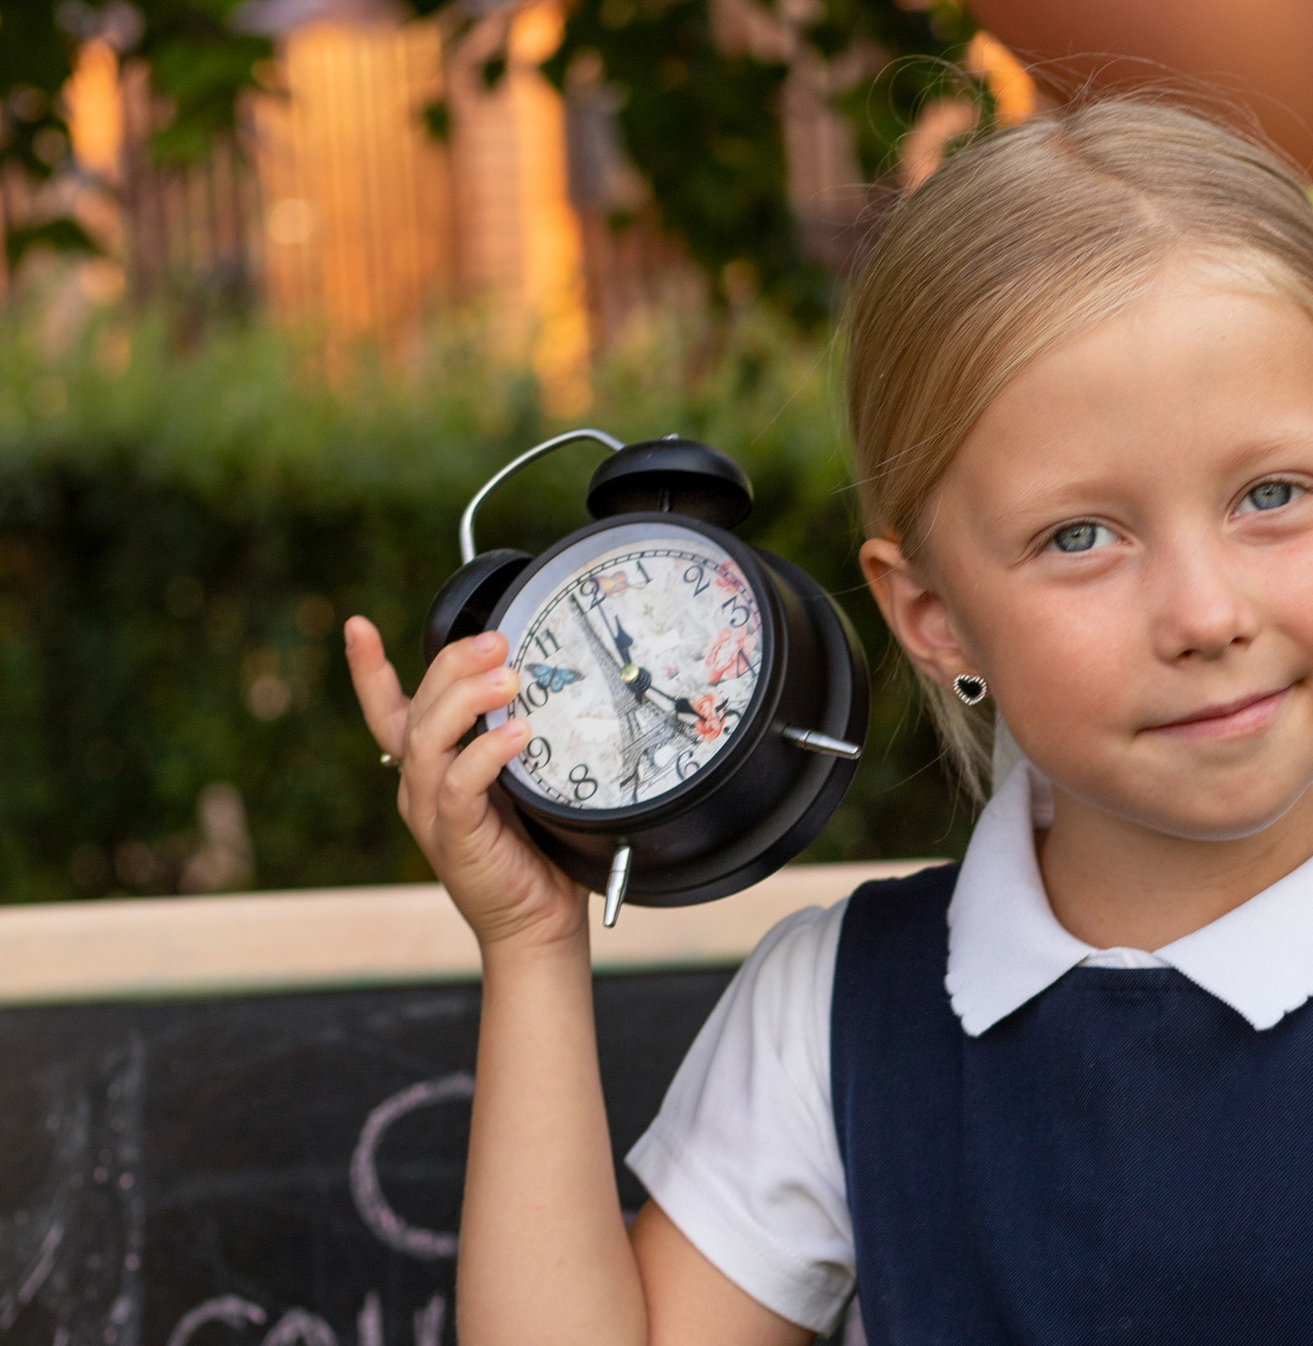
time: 11:21
